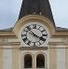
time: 3:52
